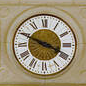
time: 3:48
